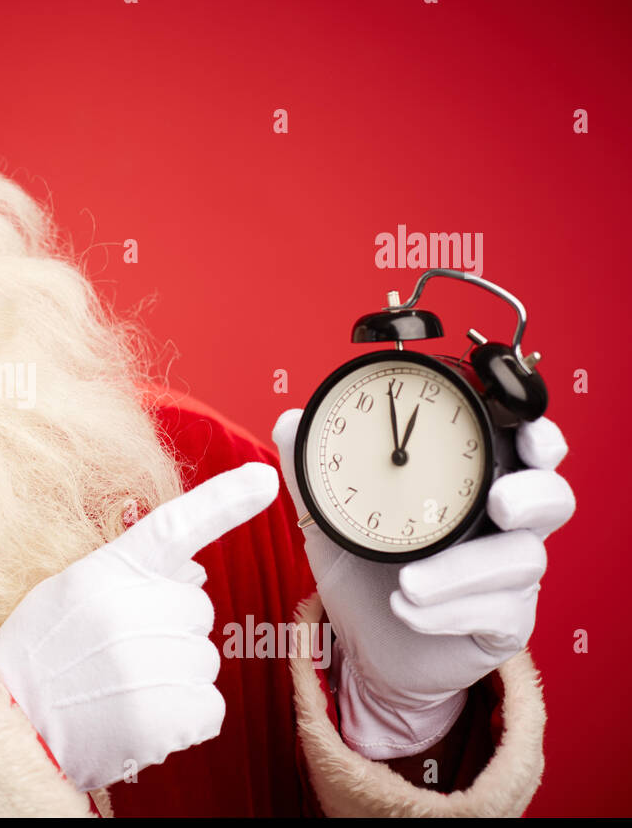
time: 12:59
